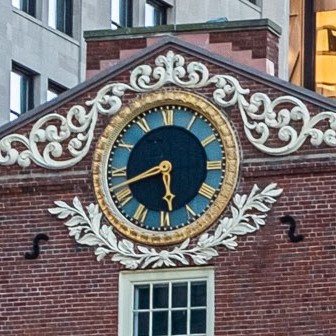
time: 5:42
